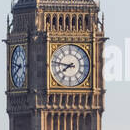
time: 7:46
